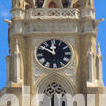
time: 11:49
